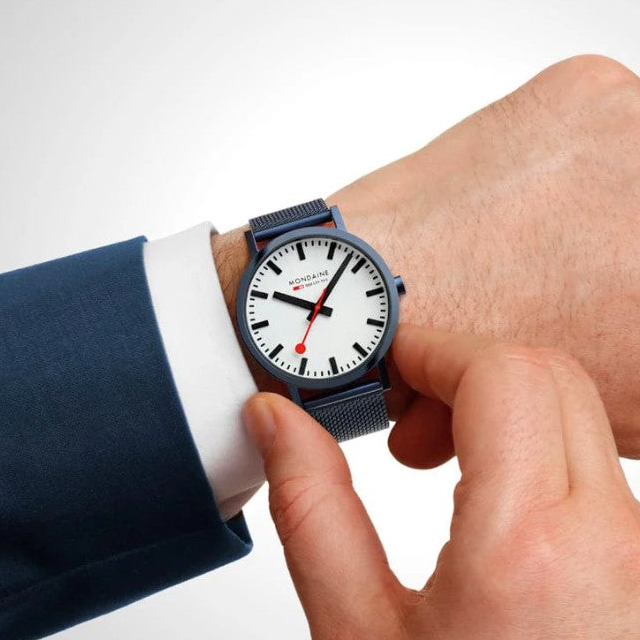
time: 10:07
